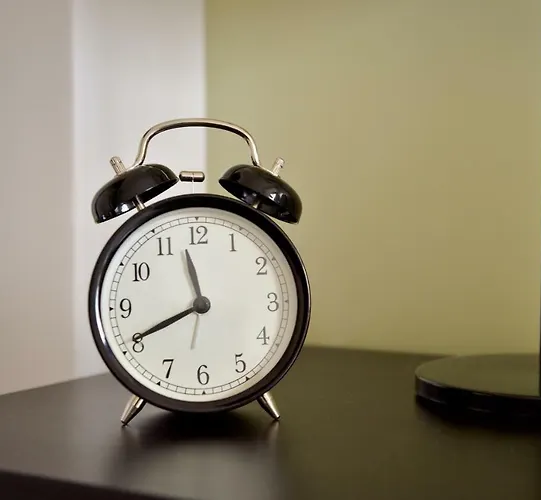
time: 11:40
